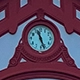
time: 11:26
